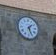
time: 1:26
